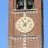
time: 11:07
